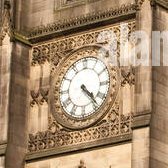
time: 4:22
